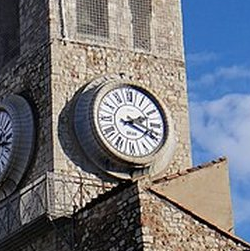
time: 2:18
